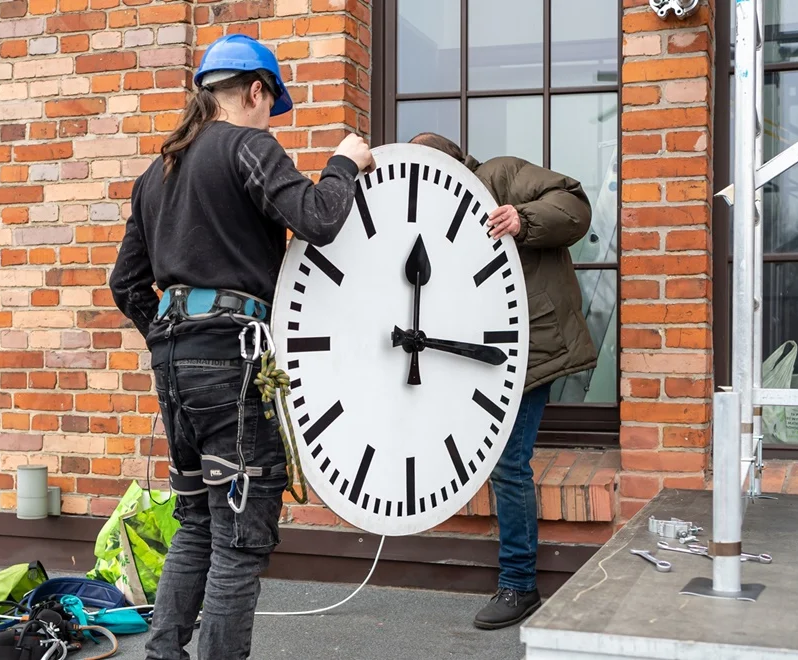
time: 12:16
